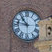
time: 10:47
